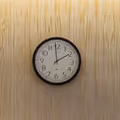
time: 1:59
